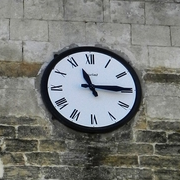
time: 11:15
